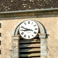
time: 8:48
